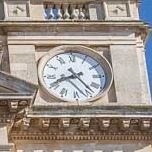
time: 8:23
